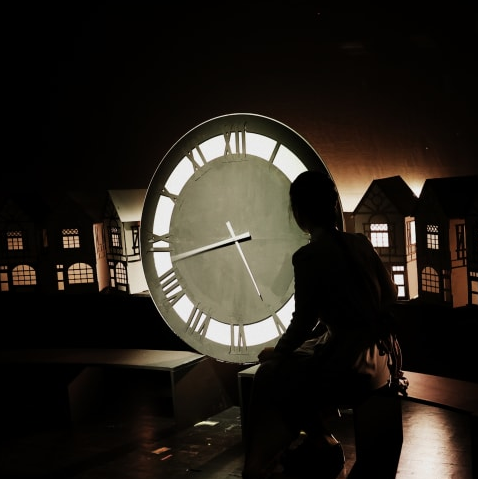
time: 4:42
